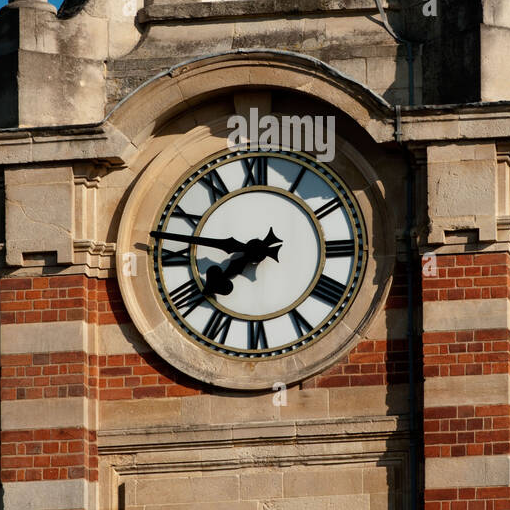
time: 7:46
